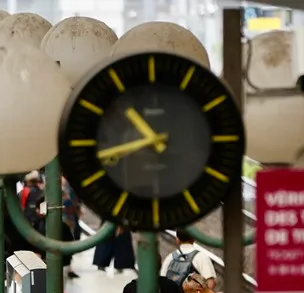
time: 10:42
